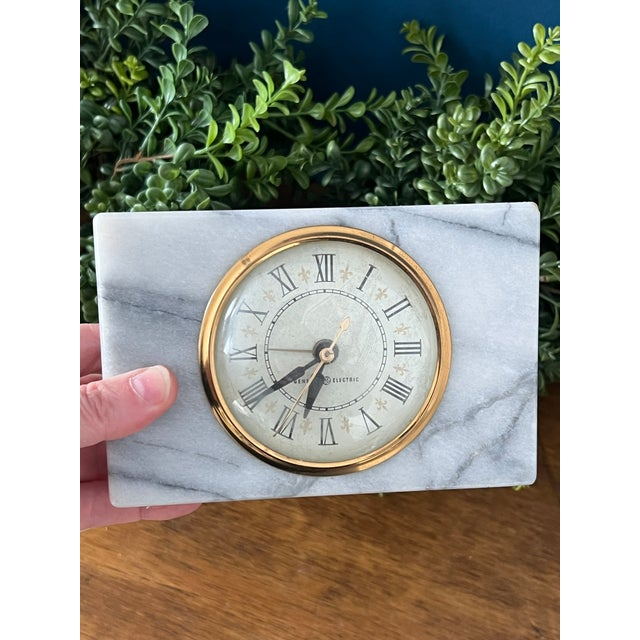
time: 6:39
